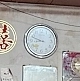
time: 8:48
